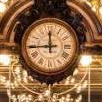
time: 11:44
